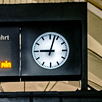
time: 9:02
